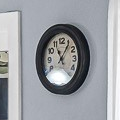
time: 11:06
